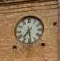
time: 7:28
